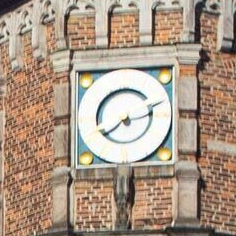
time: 2:38
